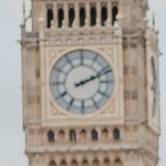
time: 2:11
